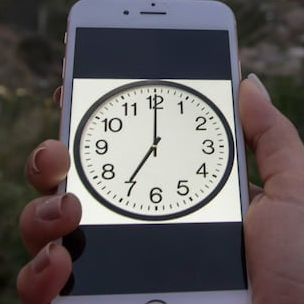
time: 7:00
